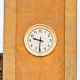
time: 9:31
